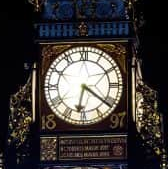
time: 6:21
